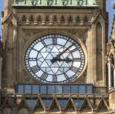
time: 3:07
